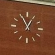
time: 12:55
